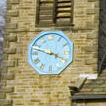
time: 3:47
